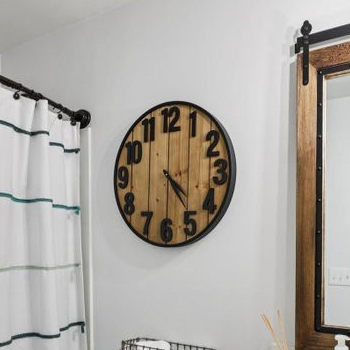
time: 4:23
